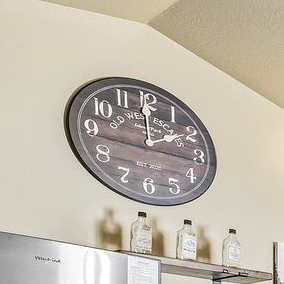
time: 1:59
